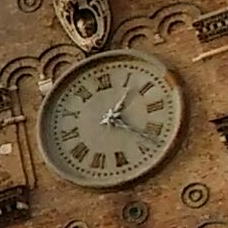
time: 1:22
